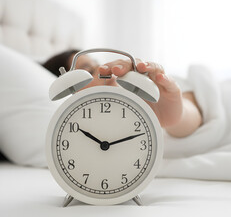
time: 10:12
